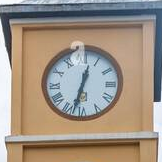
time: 12:32
